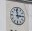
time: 2:58
